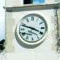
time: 3:48
